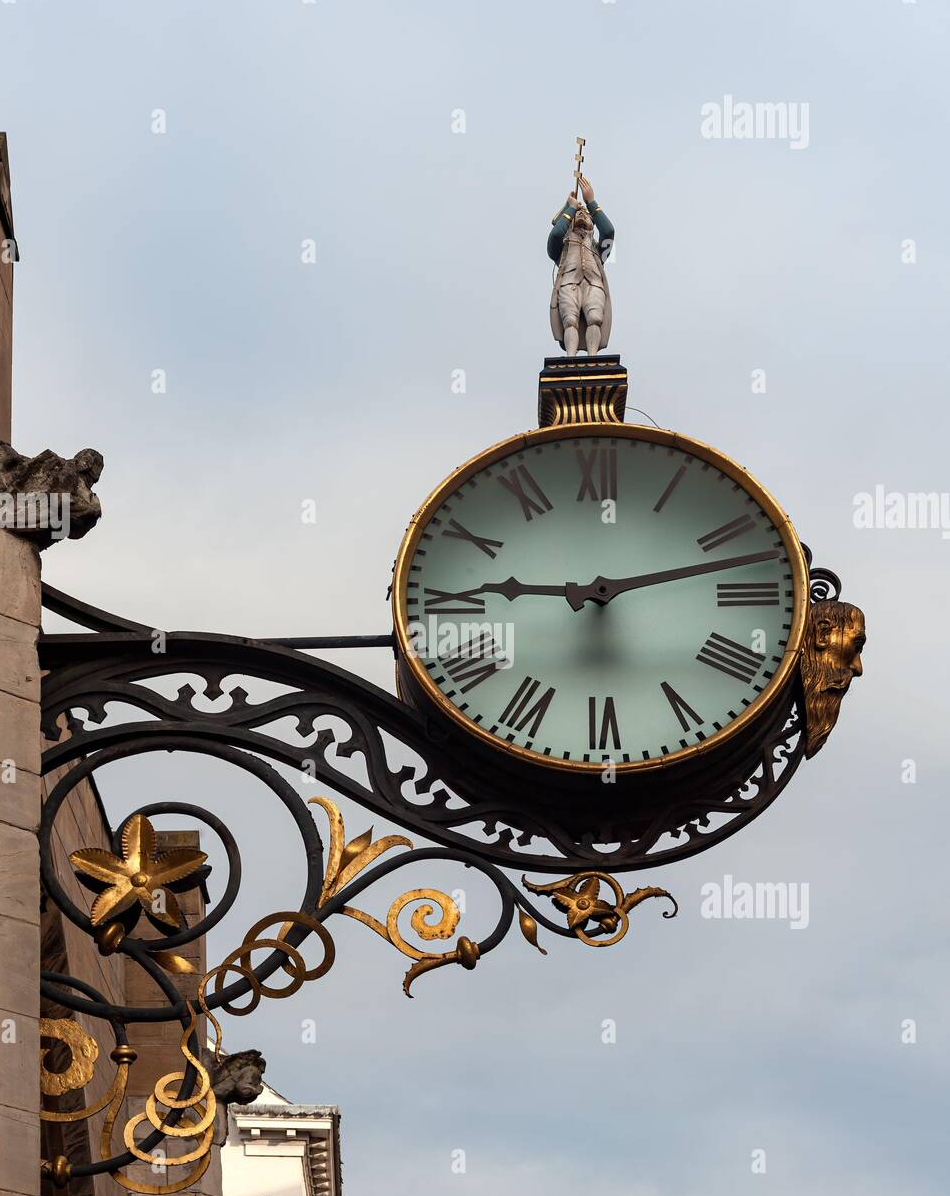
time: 9:12
